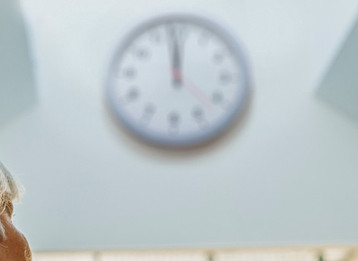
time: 11:58
